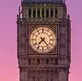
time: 7:23
